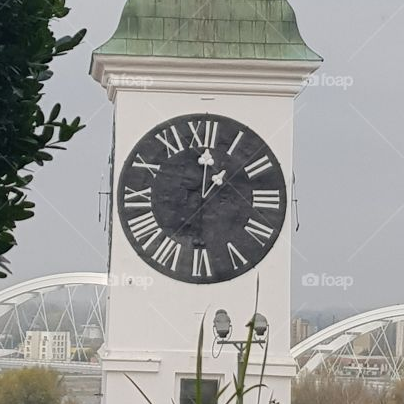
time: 1:01
